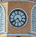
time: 4:39
